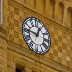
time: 12:46
